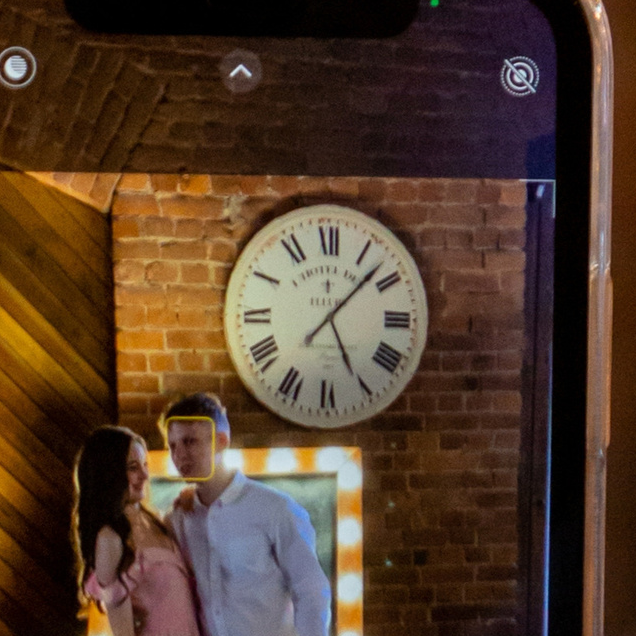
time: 5:07
